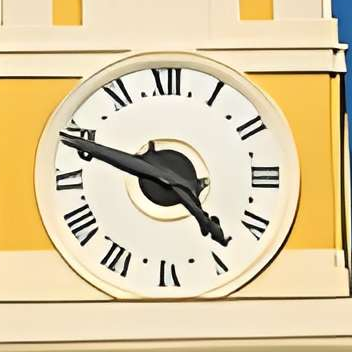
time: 4:48
